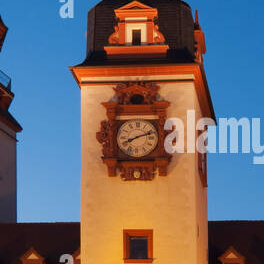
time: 8:12
